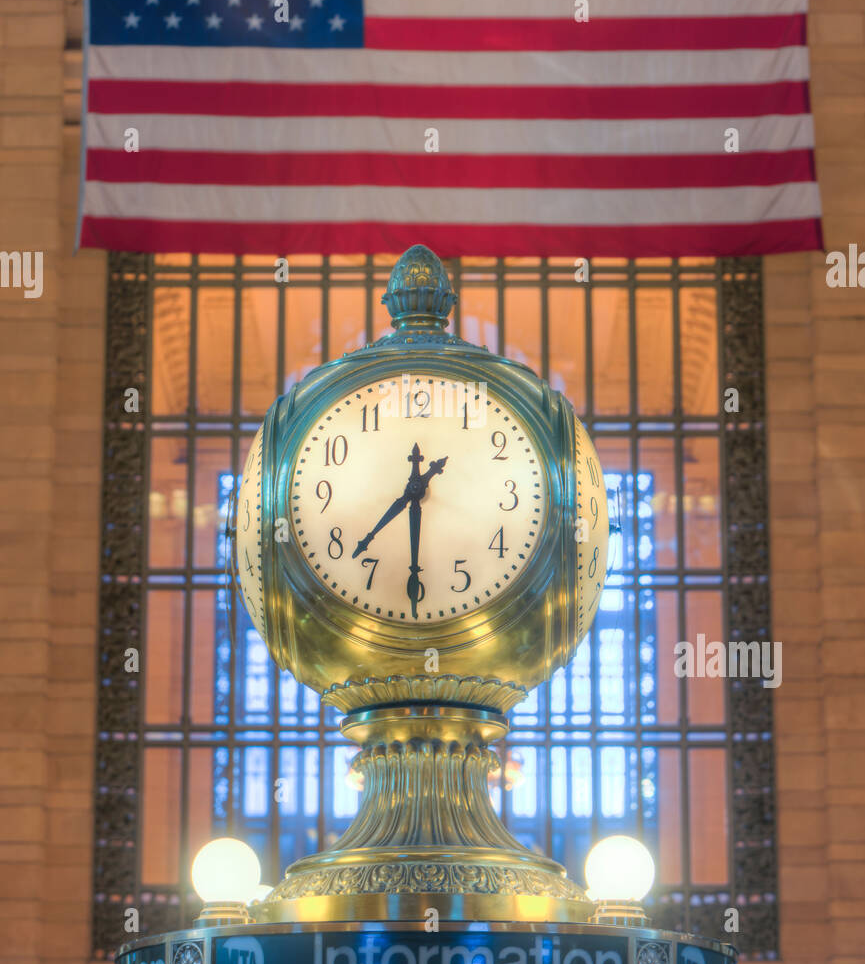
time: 7:30
